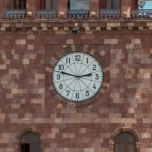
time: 2:47
